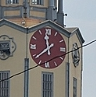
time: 11:38
